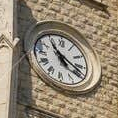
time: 3:53
